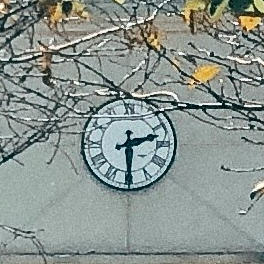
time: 2:29
